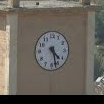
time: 4:27
